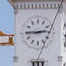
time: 2:45
